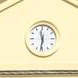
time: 11:31
